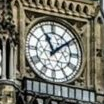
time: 11:08
